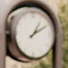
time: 1:09
